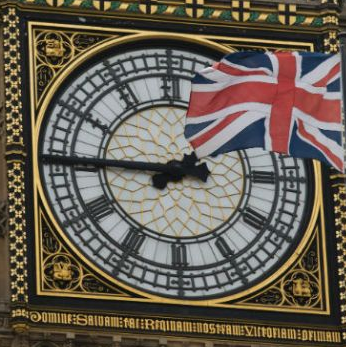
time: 1:45
